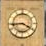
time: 3:43
